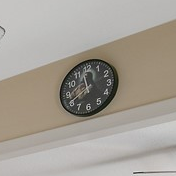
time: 11:40
